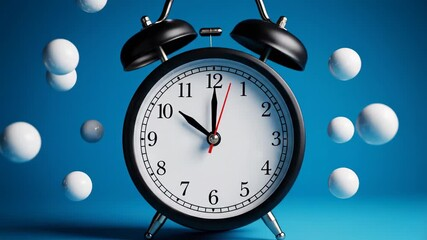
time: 10:00
